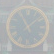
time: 11:08
